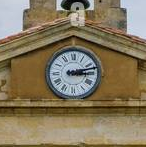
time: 3:12
